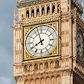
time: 7:57
